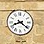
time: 8:21
